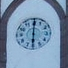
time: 6:00
